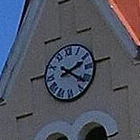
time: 2:21
